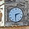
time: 2:30
